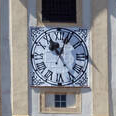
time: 11:03
